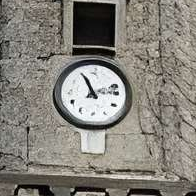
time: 11:13
